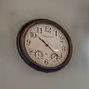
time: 10:21
